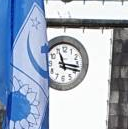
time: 11:16
